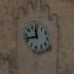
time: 11:42
